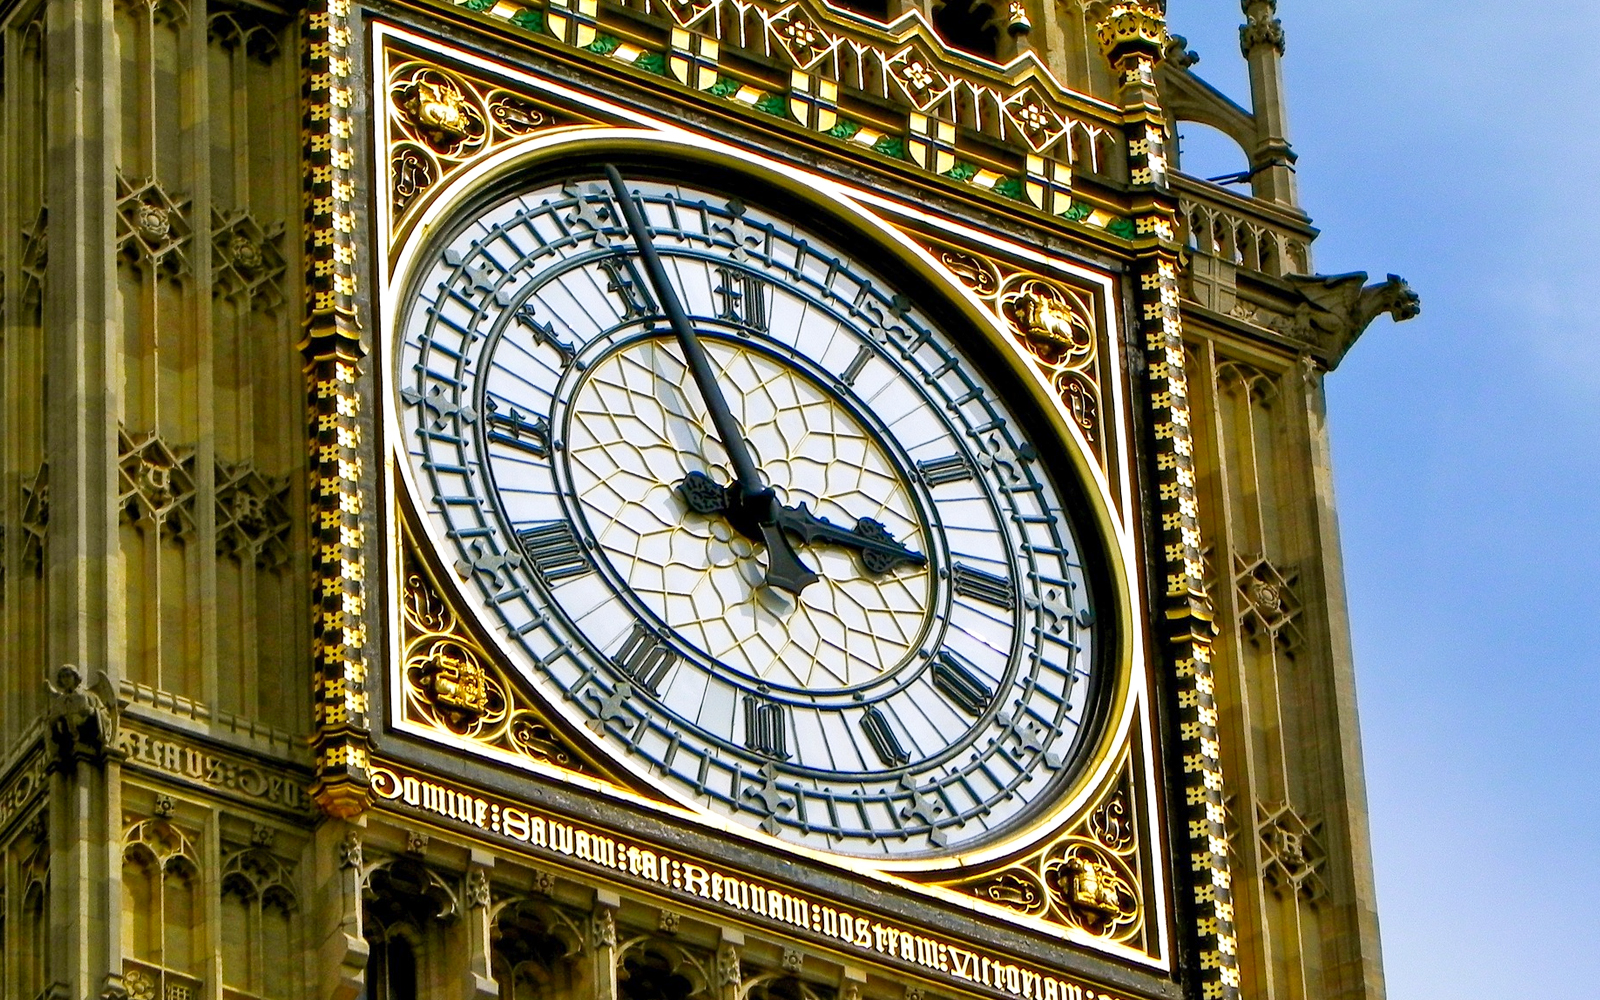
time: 2:56
